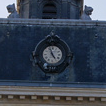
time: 4:57
